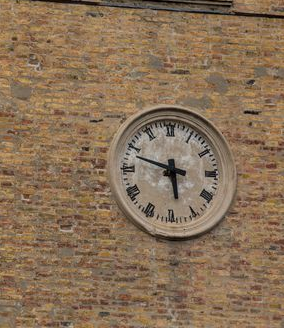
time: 5:48
